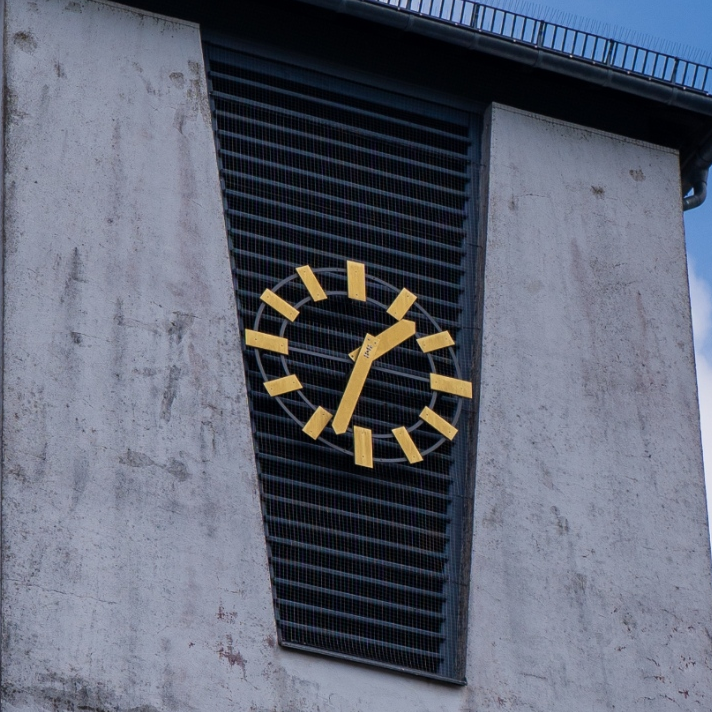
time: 1:33
